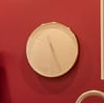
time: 11:25
